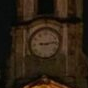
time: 9:13
